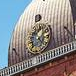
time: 1:22
